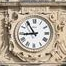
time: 8:54
